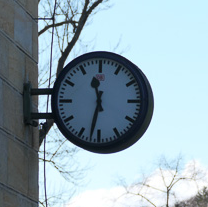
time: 11:32
